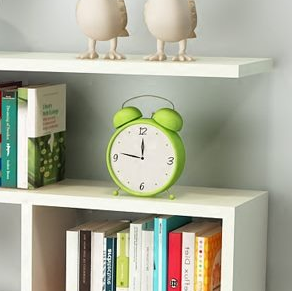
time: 11:46
